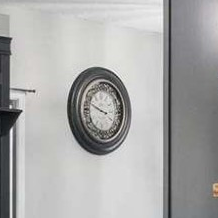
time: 3:48
